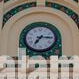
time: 7:15
